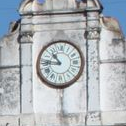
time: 10:45
